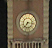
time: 7:15
